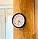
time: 4:31
